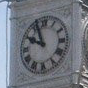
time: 9:56
